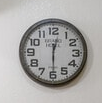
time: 12:29
